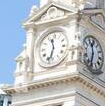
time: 11:32
